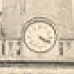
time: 4:18
